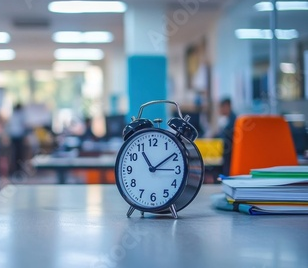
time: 11:09
